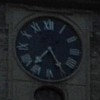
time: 7:24
